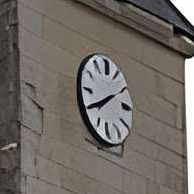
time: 7:40
